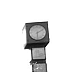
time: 6:10
